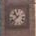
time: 10:38
